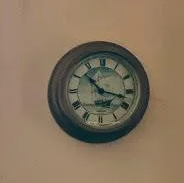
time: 10:17
